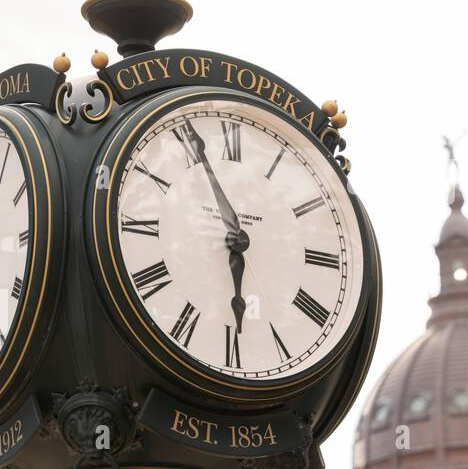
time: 5:55
